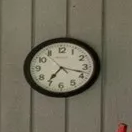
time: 7:17
